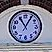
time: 11:05
